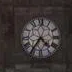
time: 4:36
